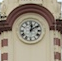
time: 12:09
